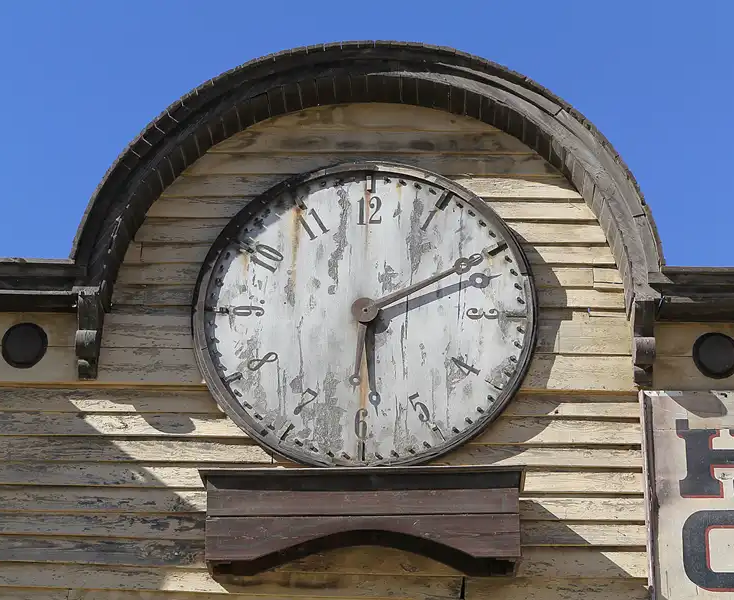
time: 6:10
